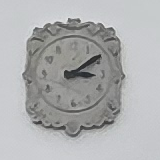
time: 3:09
